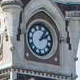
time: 2:06
